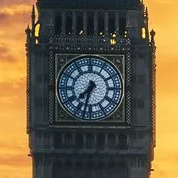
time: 7:32
